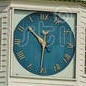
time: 10:31
